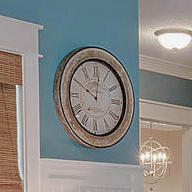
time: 10:01
